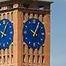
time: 10:05
